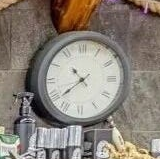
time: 10:38
